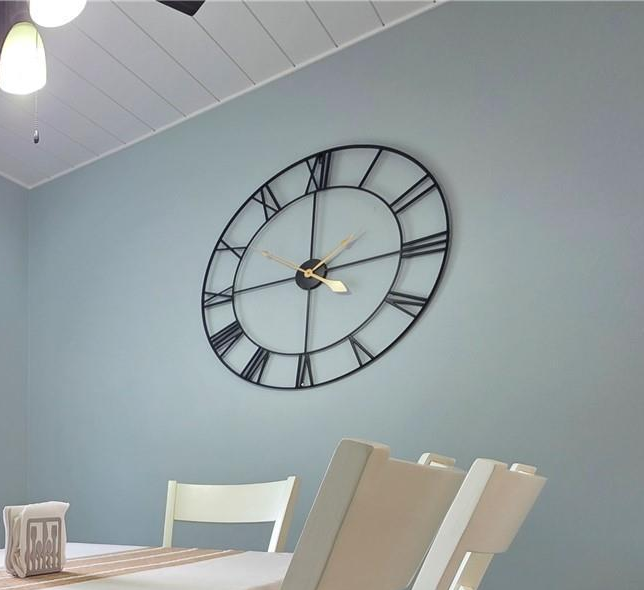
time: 2:00
